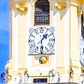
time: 1:28
